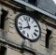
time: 7:57
